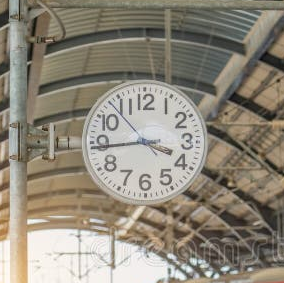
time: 3:44
